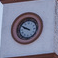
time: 9:50
